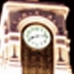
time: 8:13
